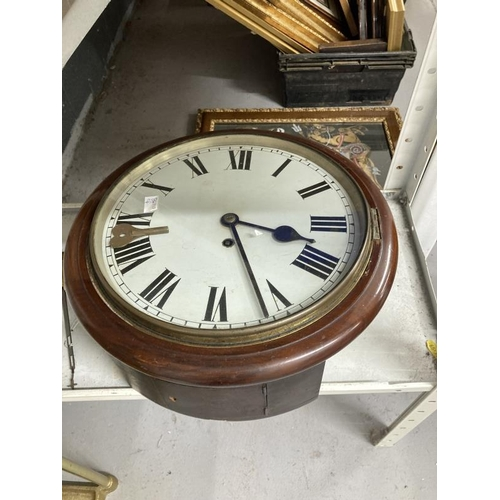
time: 3:26
